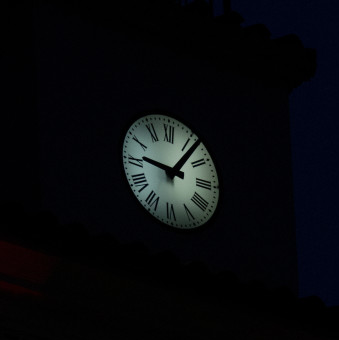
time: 9:06
